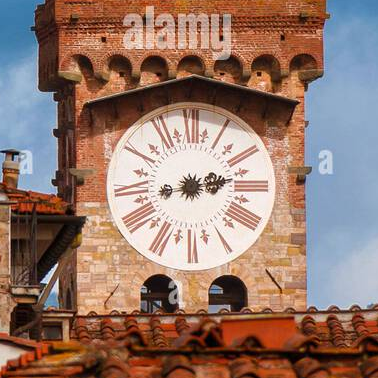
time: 2:12
